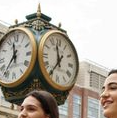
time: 11:35
